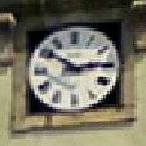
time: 2:50
